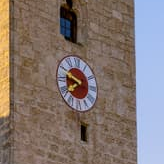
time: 7:48
